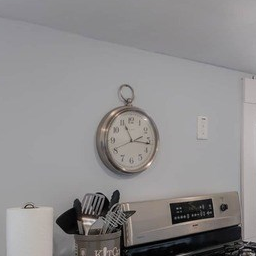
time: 11:16
